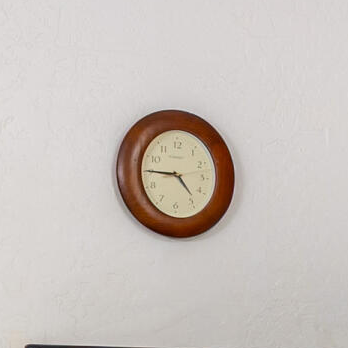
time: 4:45
